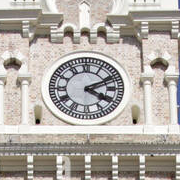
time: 4:10
